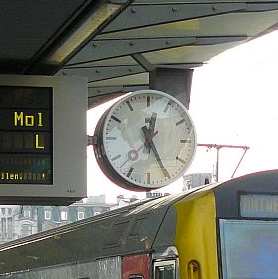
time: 12:25
